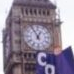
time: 12:55
